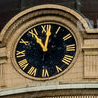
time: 11:01
